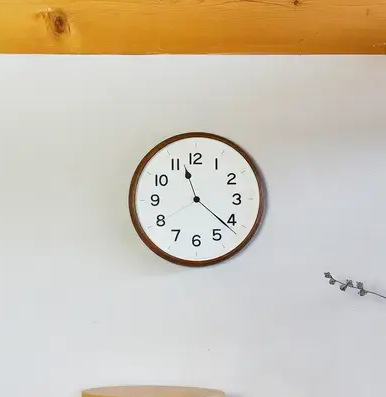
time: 11:21
